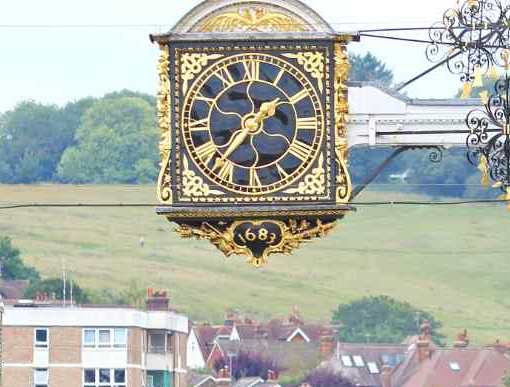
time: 1:36
